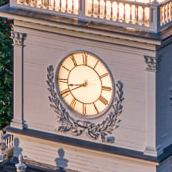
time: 8:40
